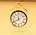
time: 11:40
